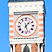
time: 1:27
